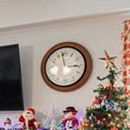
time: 2:58
